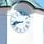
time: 8:41
